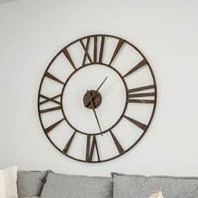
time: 1:26
